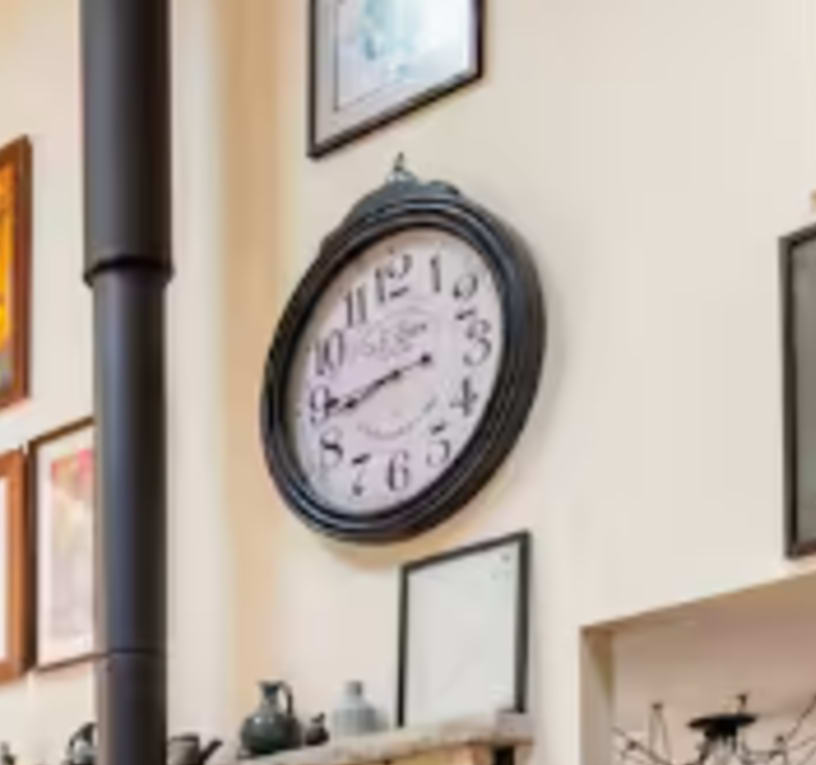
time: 8:44
